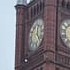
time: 12:24
